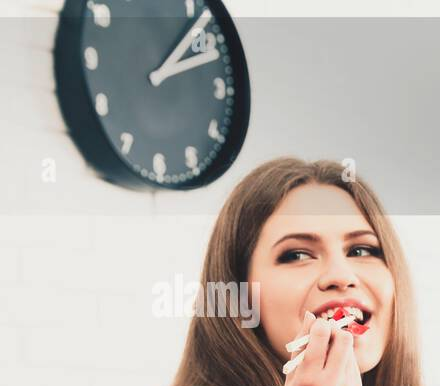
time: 2:07
